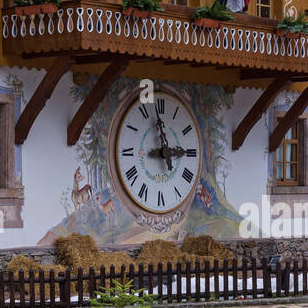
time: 2:58
